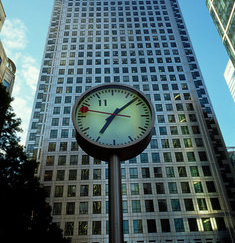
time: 7:08
